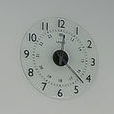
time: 12:22
